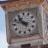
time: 10:48
